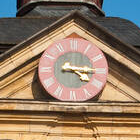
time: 4:16
